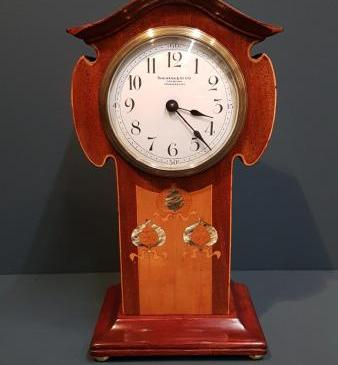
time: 3:22
